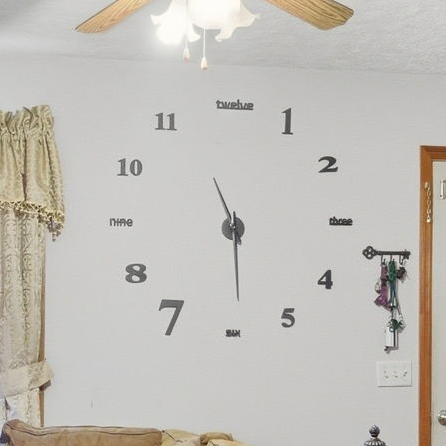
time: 11:29
